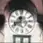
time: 11:40
